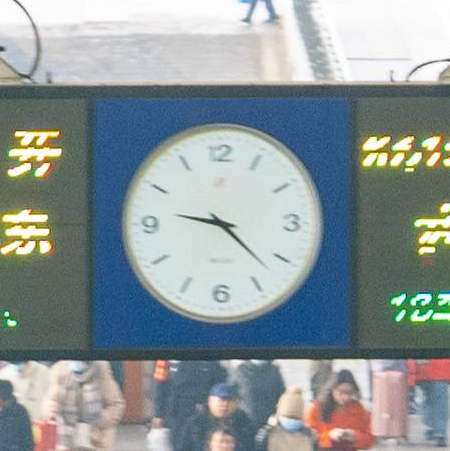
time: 9:22
